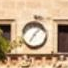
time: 7:07
